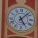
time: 5:07
